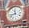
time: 11:42
